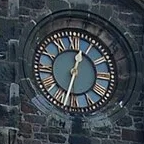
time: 12:32
